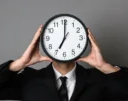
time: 7:00
